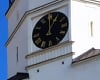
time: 1:00
